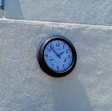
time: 1:52
